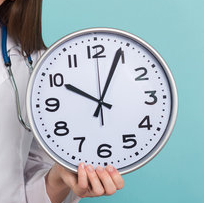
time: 10:04
